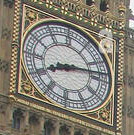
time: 8:12
